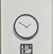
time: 1:50
